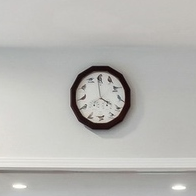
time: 3:59
